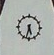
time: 5:32
